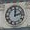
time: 12:12
